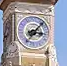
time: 3:06
